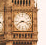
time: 8:17
